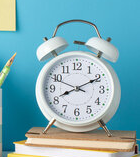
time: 8:10
